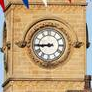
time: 8:44
